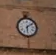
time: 6:08
